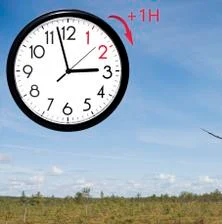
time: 2:57
